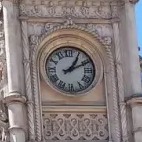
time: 1:10
